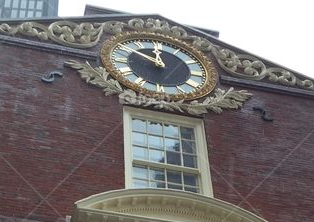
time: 11:50
